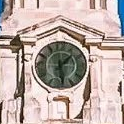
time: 1:28
